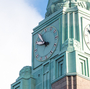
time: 10:48
